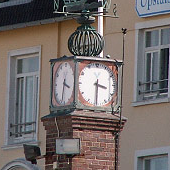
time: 3:30
